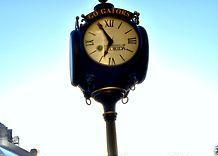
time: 6:54
